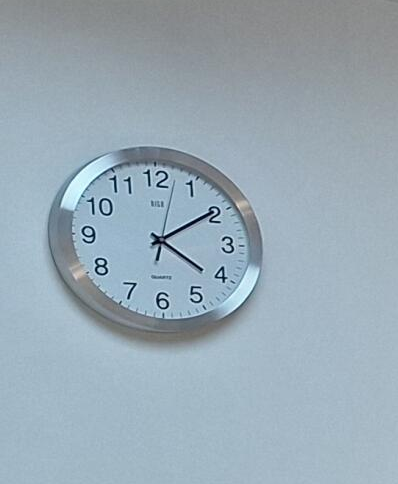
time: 4:09
